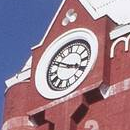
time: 3:50
